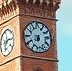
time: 6:40
